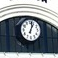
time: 1:02
